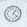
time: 1:21
